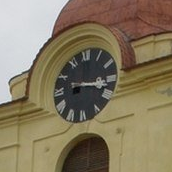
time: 3:17
